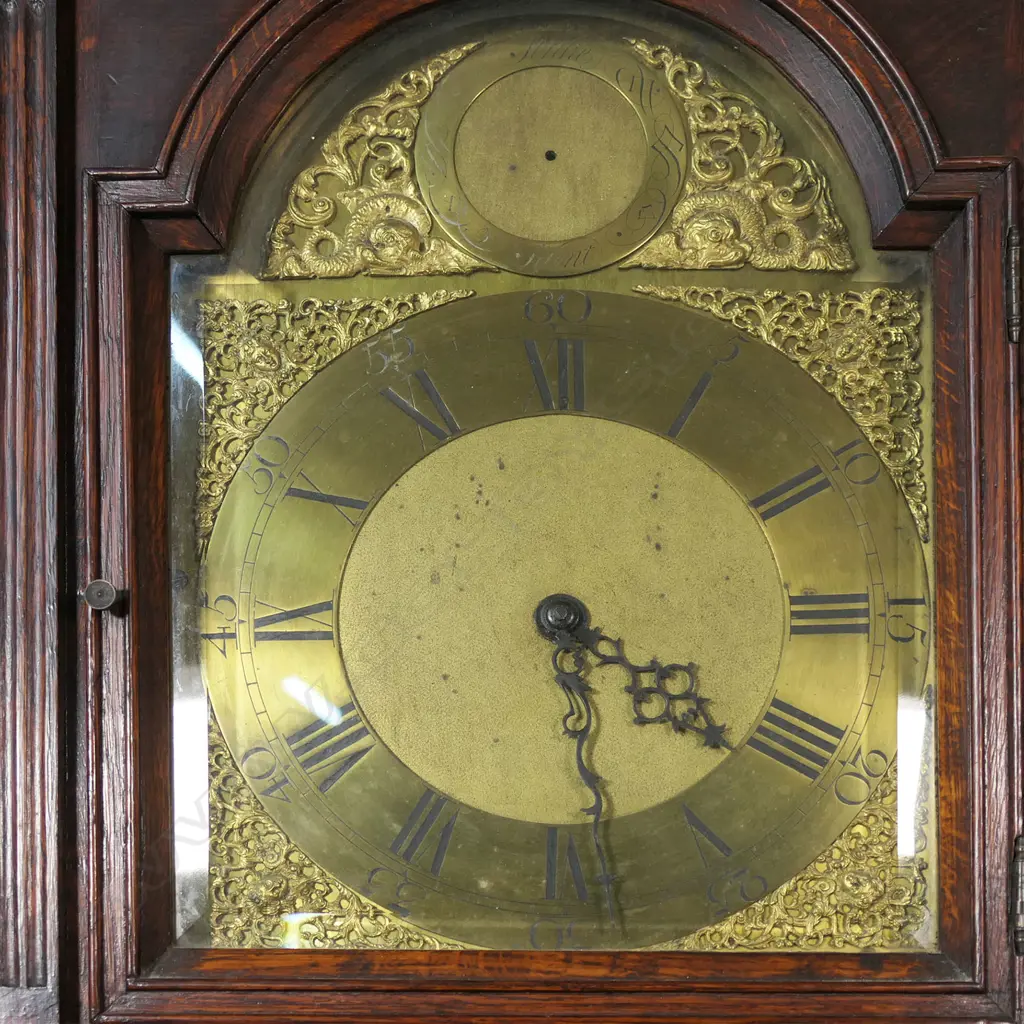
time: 4:28
